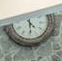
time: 4:28
